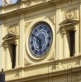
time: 5:50
